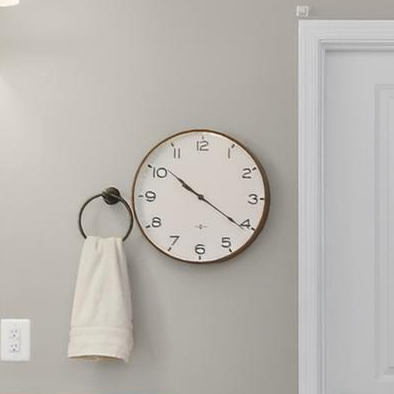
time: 10:20
